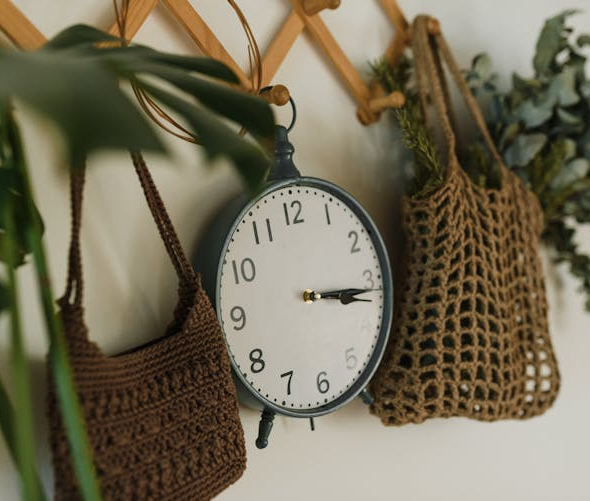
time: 3:15
